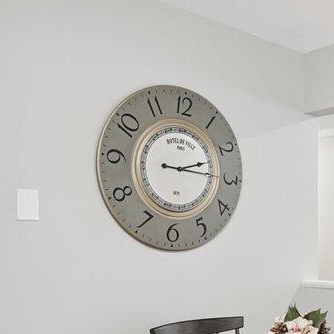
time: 2:15
